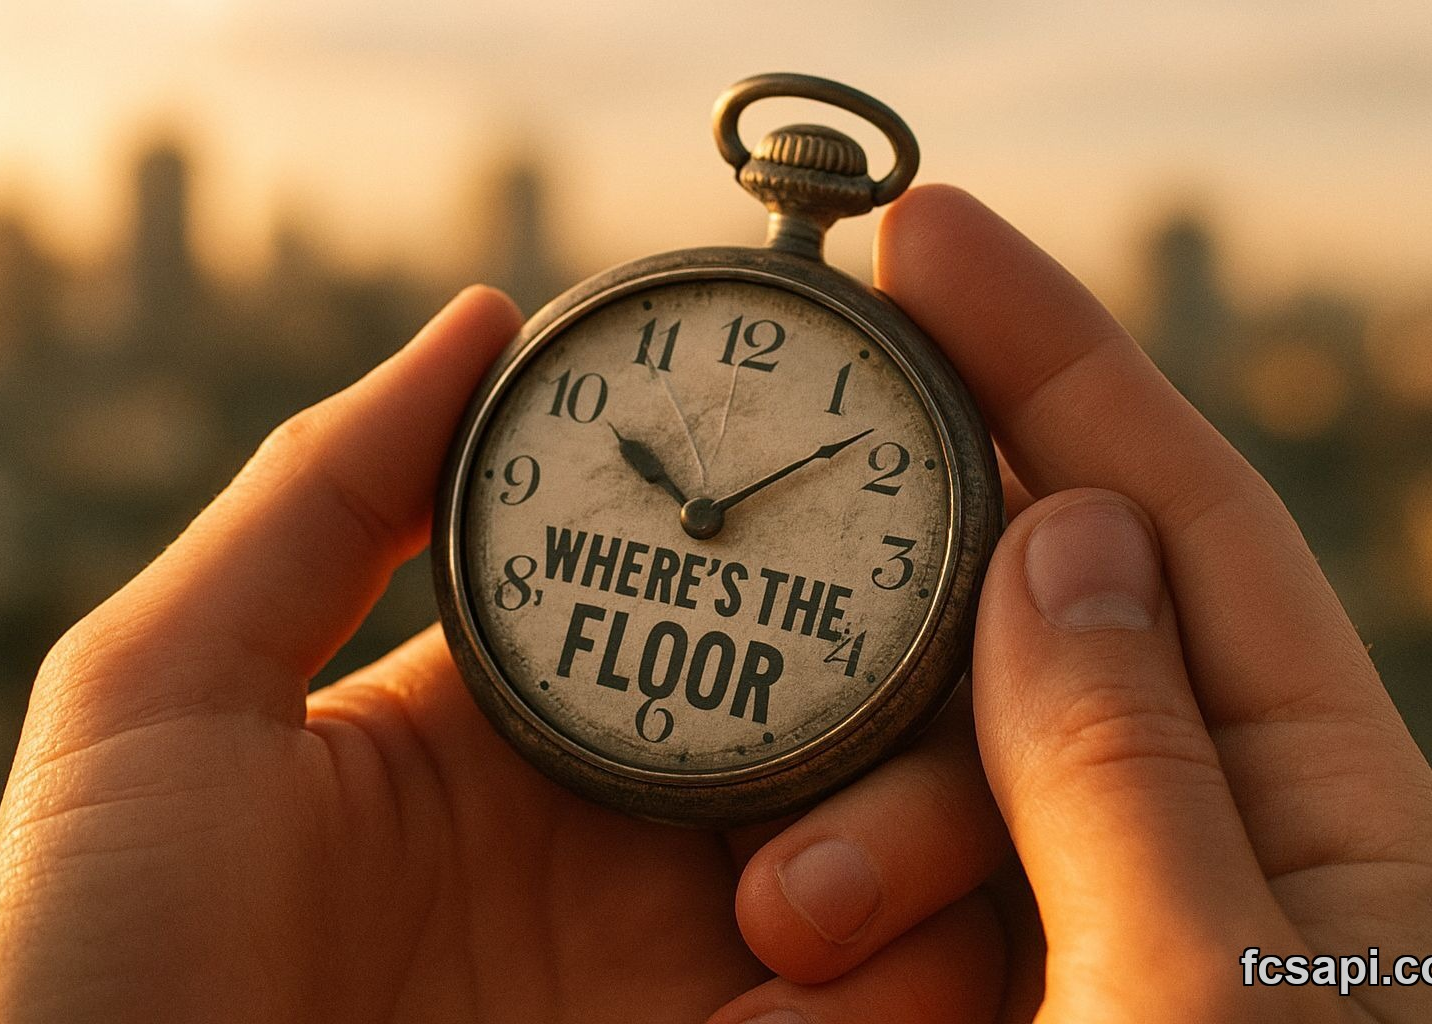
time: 10:07
